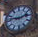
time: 9:12
